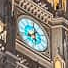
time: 8:01
